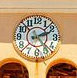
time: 2:23
